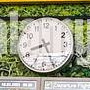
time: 8:25
